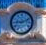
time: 9:11
